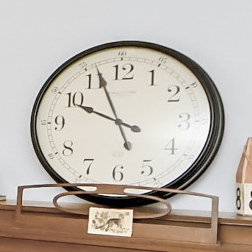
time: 9:56
